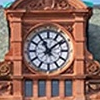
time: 11:08
